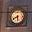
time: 5:40
